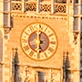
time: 5:59
